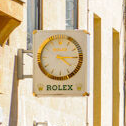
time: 4:14
